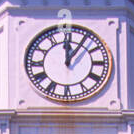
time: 12:05
